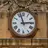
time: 2:57
